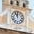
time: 11:55
